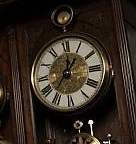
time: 1:01
